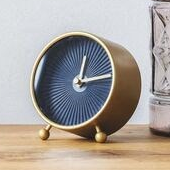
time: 12:14
